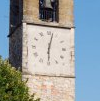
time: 6:02
